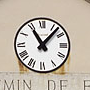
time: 11:07
